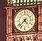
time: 4:37
